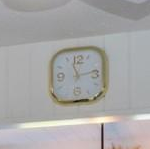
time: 11:13
